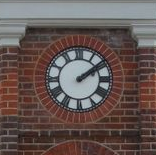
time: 2:09
